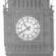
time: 10:40
